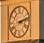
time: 2:12
